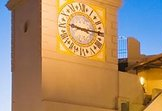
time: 9:15
